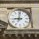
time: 9:01
